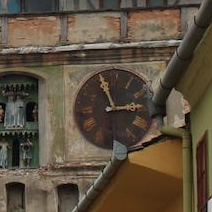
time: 2:56
